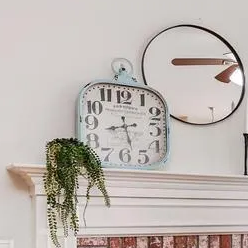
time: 8:27
